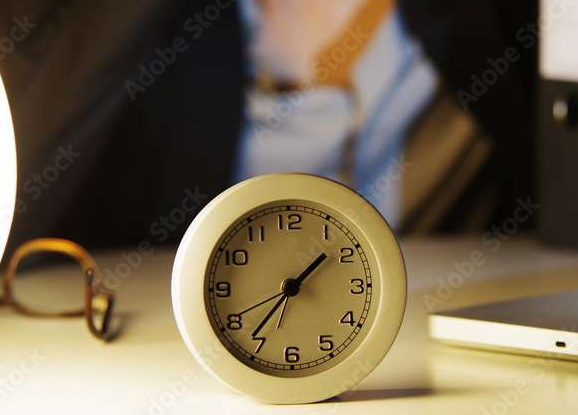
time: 1:36
